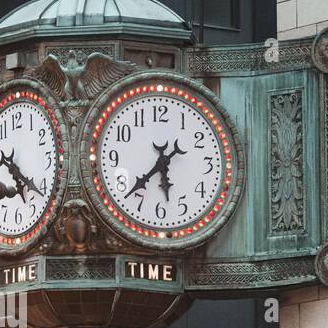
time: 5:37
